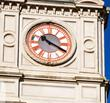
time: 10:19
